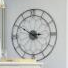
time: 2:50
